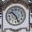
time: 10:26
